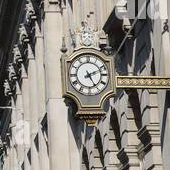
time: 2:25
